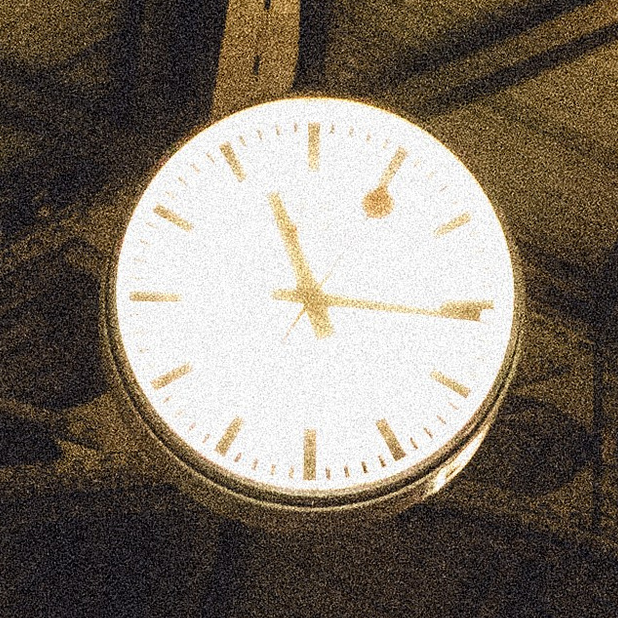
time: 11:15
